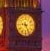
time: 9:25
